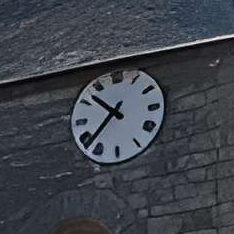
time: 10:37
